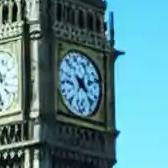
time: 4:12
